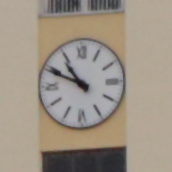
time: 10:49
